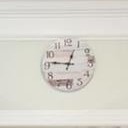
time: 12:46
